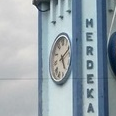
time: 5:11
